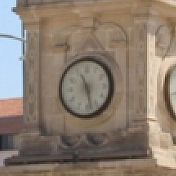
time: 11:28
